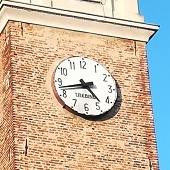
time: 4:42
